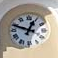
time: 12:48
